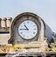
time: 10:45
